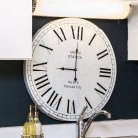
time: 9:00
